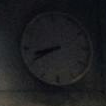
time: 8:40
